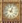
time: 12:47
